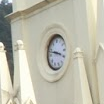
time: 3:47
